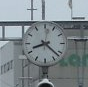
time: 8:22
